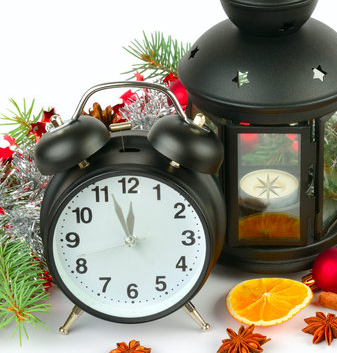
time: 11:56
